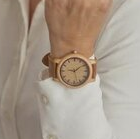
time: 9:09
